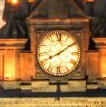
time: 8:09
